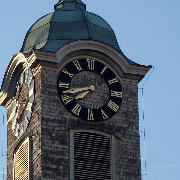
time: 7:42
